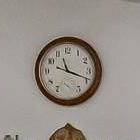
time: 11:18
